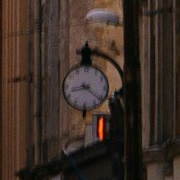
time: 8:21
